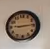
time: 9:14
